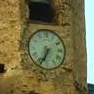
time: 6:34
